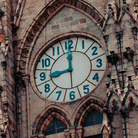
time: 8:59
